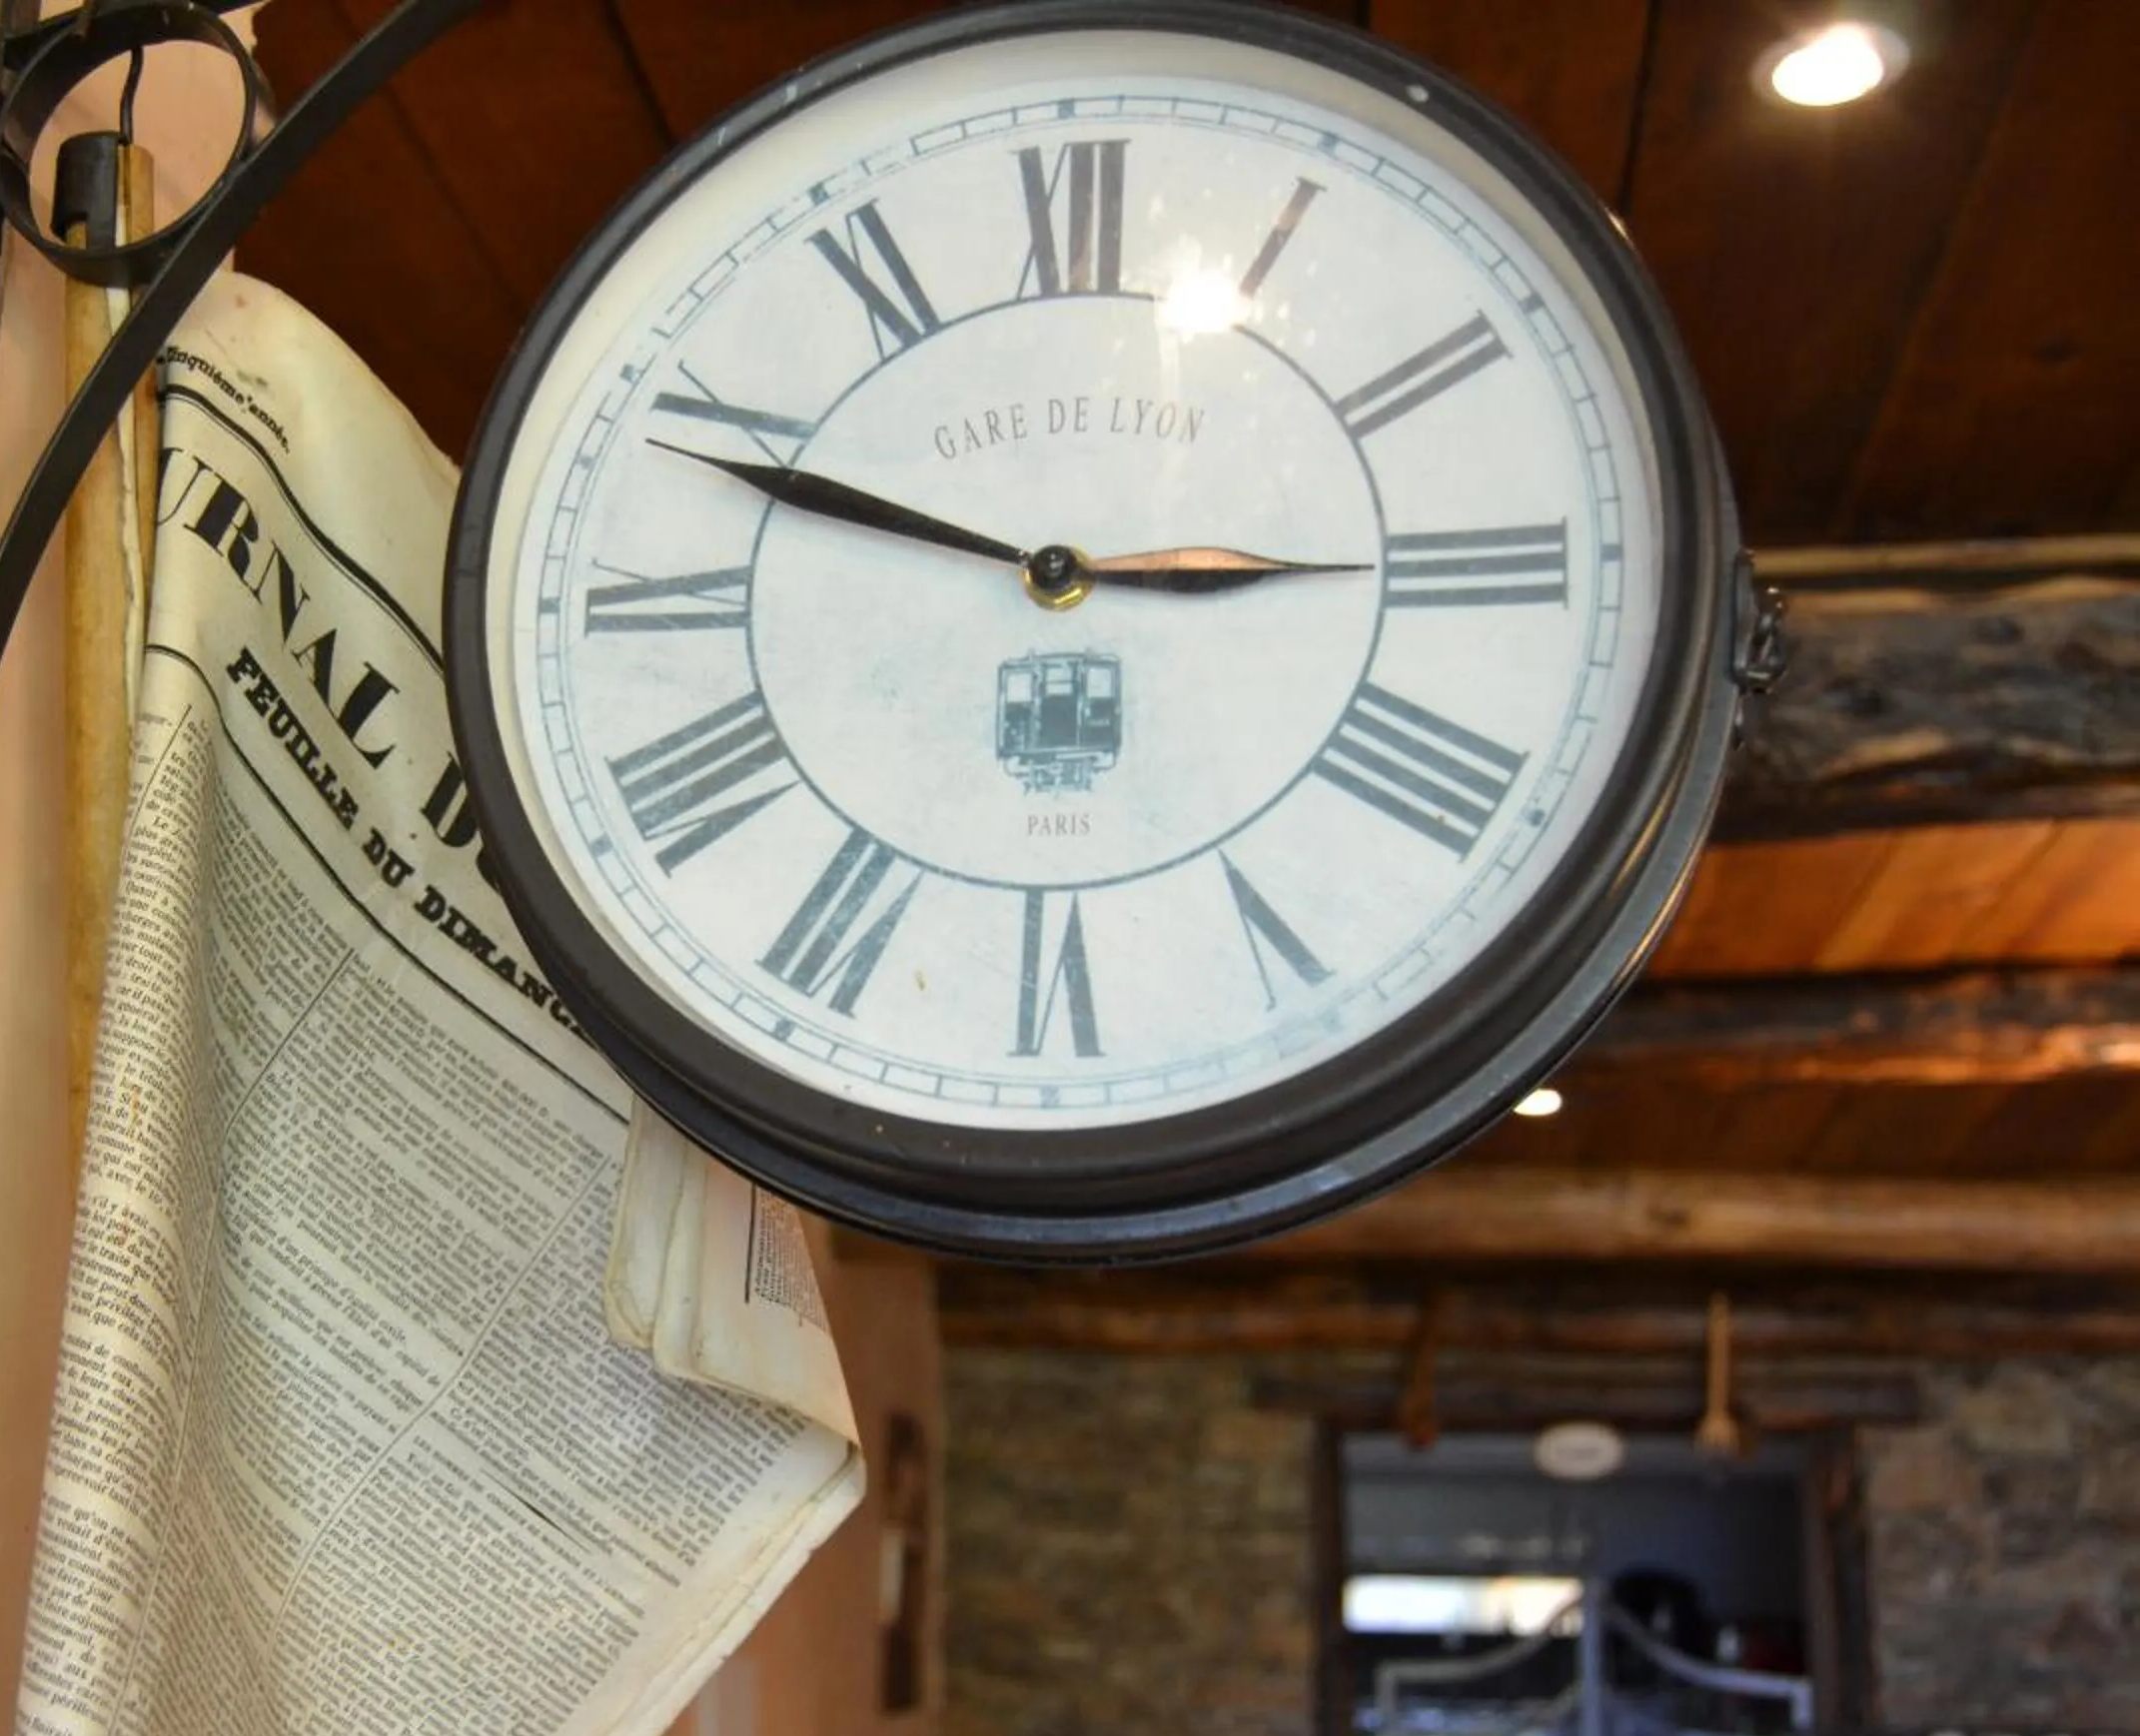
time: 2:48
